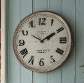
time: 1:50
